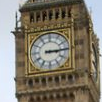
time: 3:14
